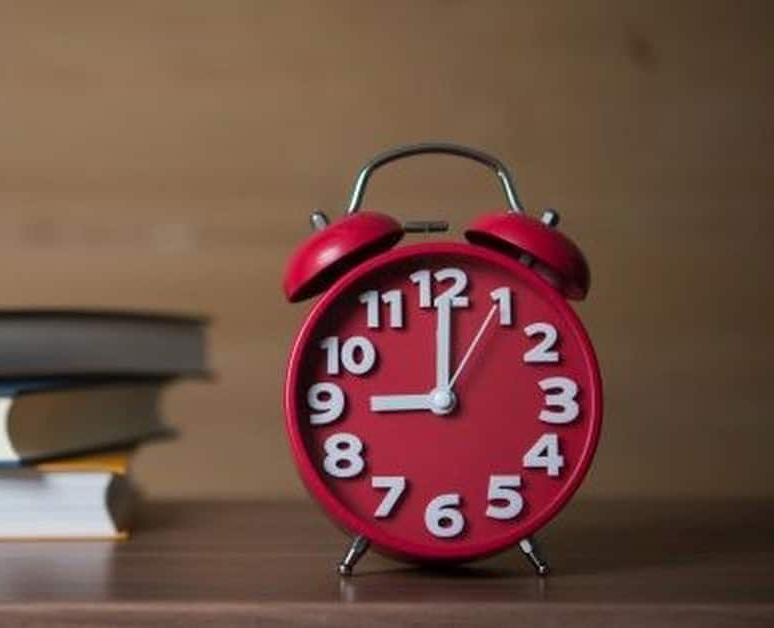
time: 9:00
